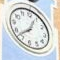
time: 12:37
